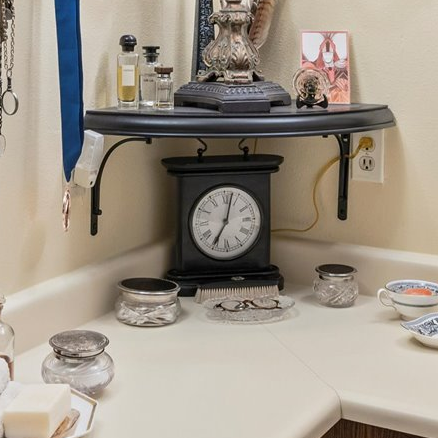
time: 7:03
